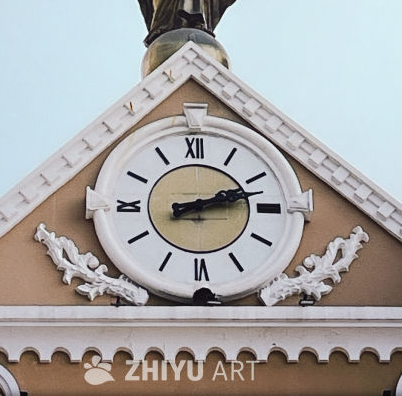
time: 2:12
